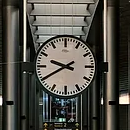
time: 9:40
